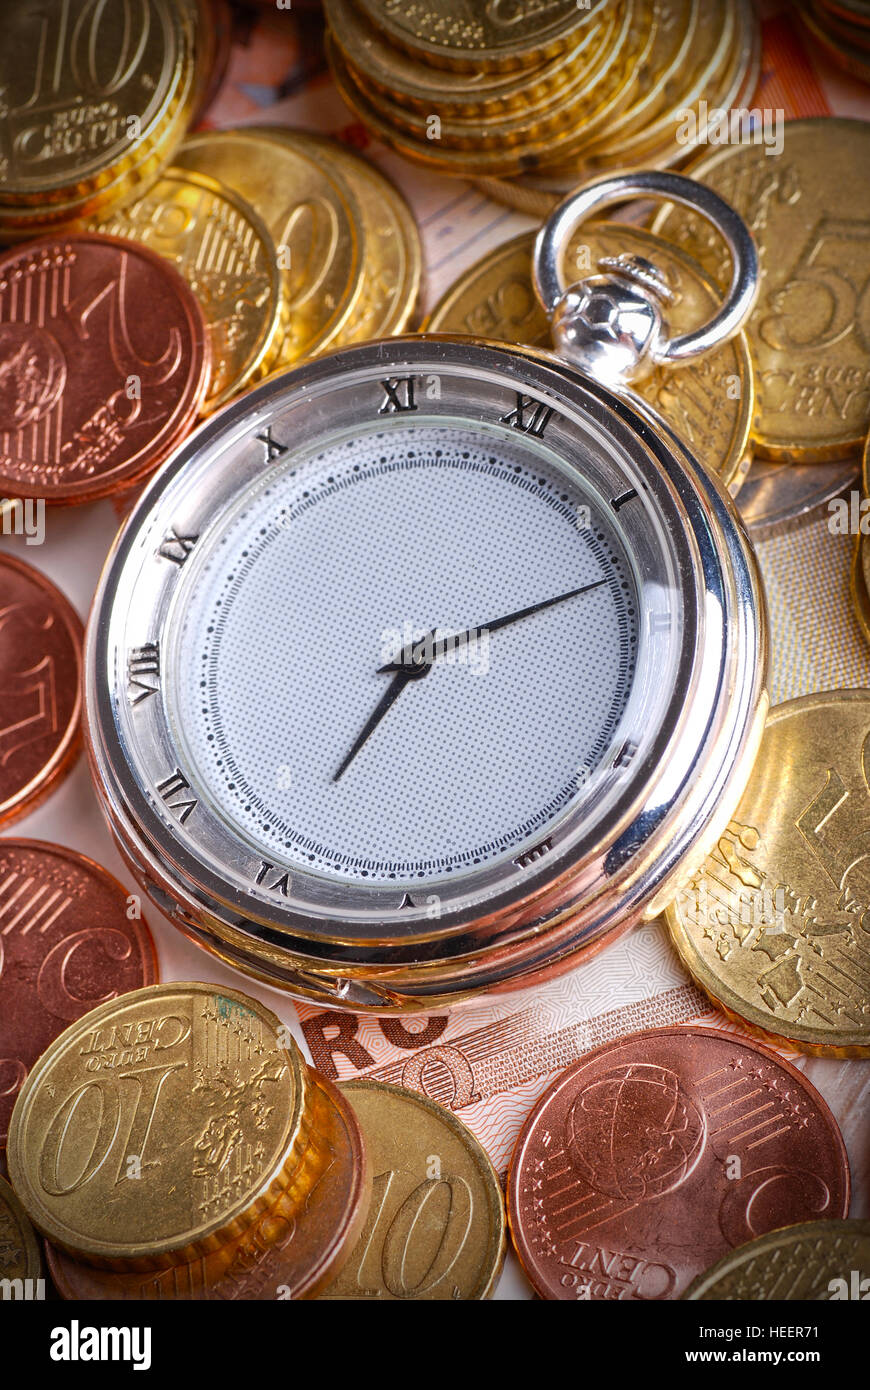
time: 7:12
